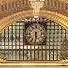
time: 5:31
